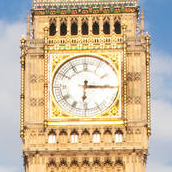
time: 6:15
